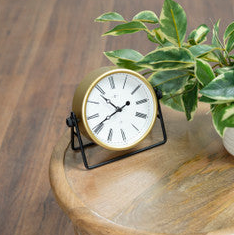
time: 2:40
